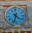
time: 4:33
